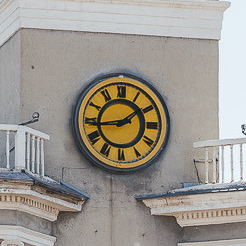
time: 1:43
